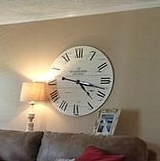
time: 4:17
